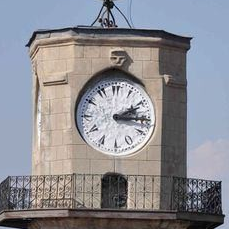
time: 2:15
